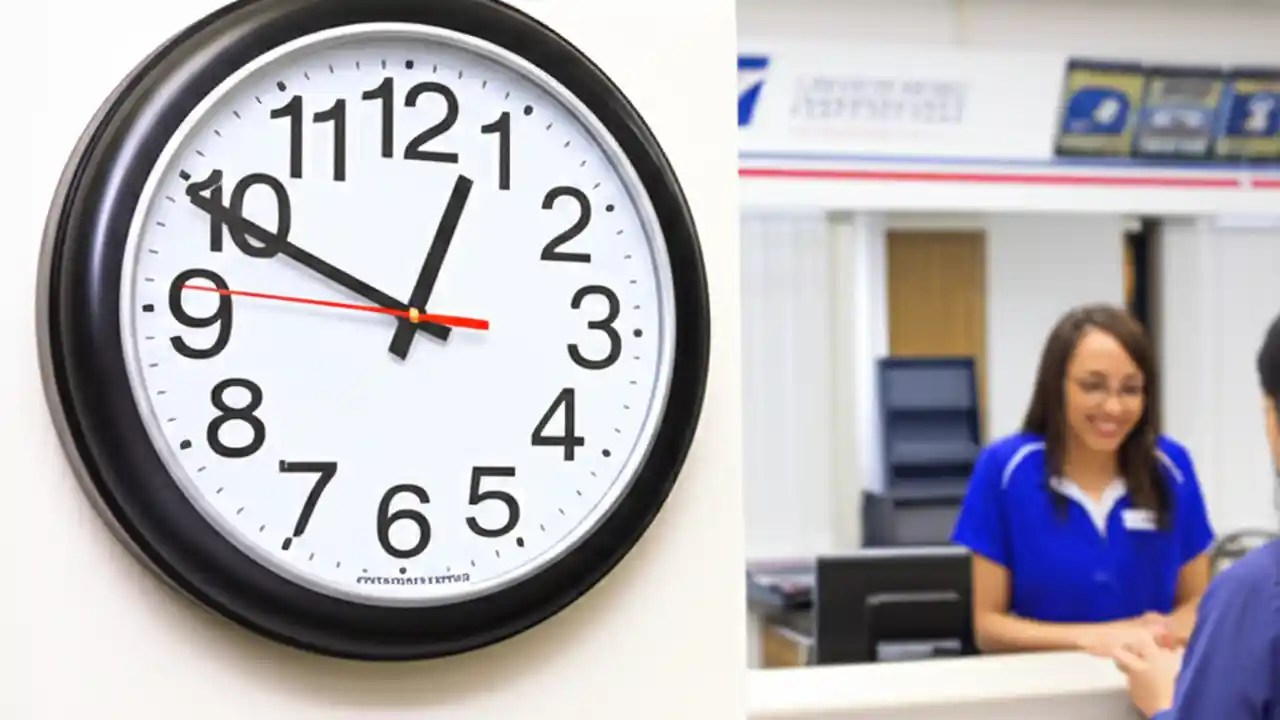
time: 12:49
